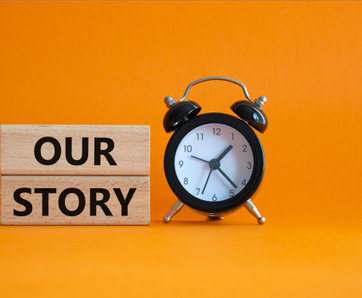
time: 1:22
